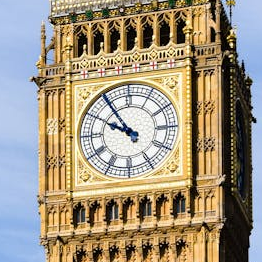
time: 9:54
